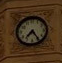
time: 7:24
